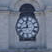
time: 11:42
